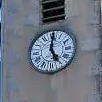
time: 5:00
